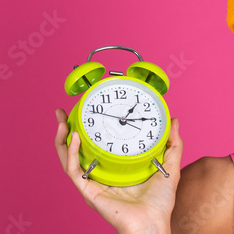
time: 1:14
